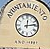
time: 12:13
